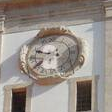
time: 9:38
